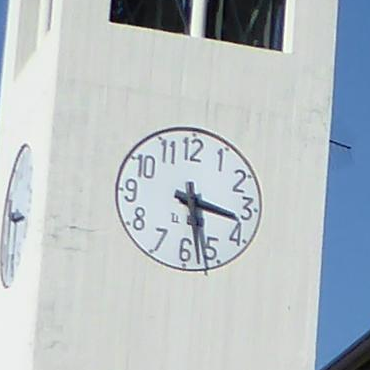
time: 3:27
